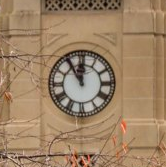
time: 11:54
